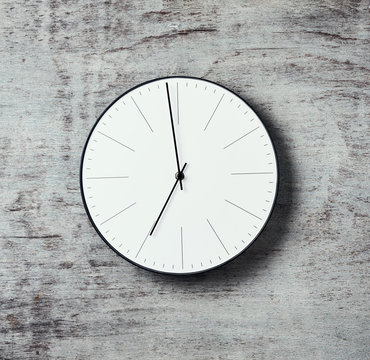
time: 6:58
